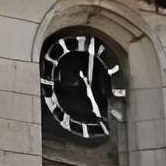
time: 5:02
